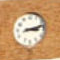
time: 3:12
